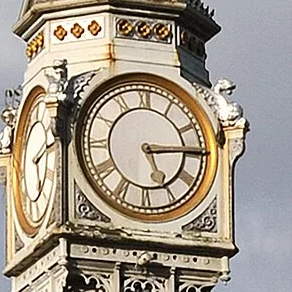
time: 5:14
